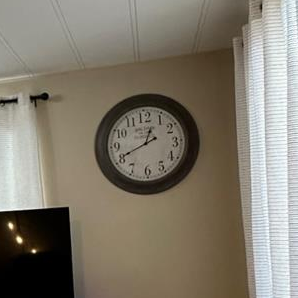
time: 12:40
